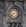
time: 8:38
